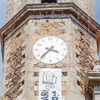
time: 3:37
